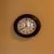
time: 11:40
